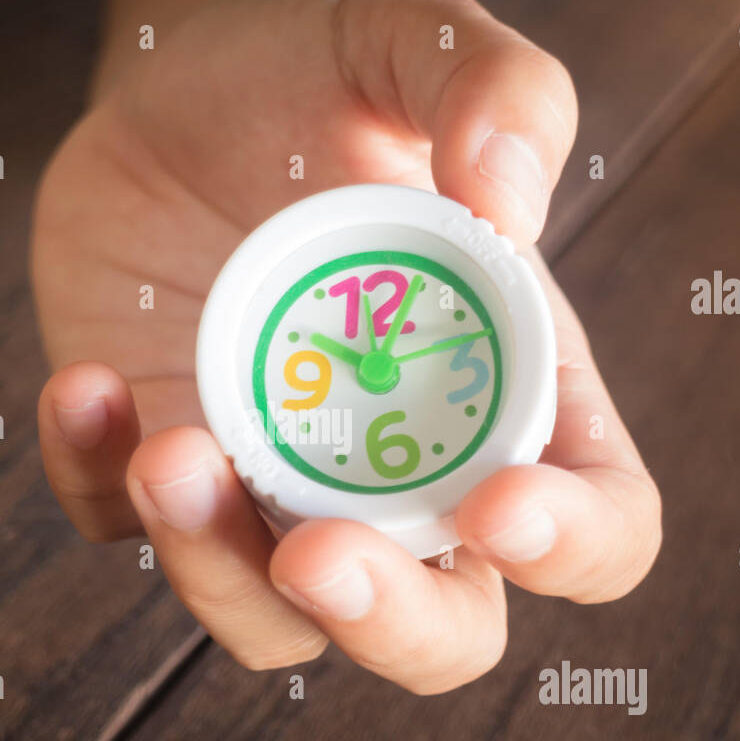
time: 10:04
